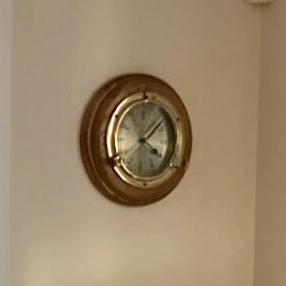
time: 4:07
